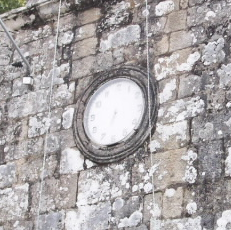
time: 6:32
